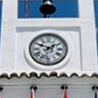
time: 1:49
